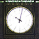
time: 10:02
